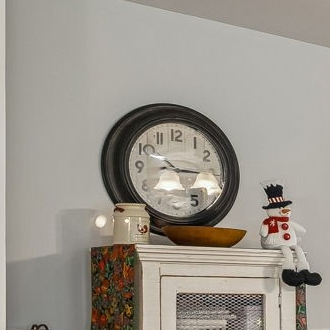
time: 10:15
